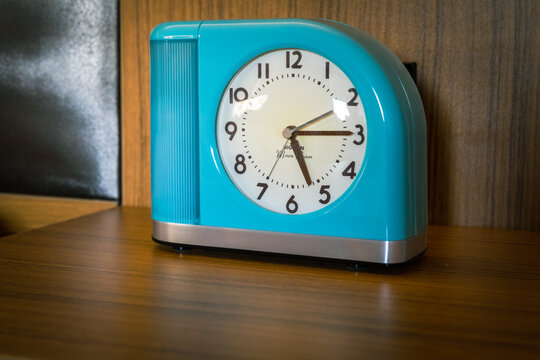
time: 5:14
